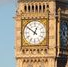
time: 12:51
